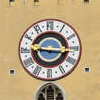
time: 9:16
